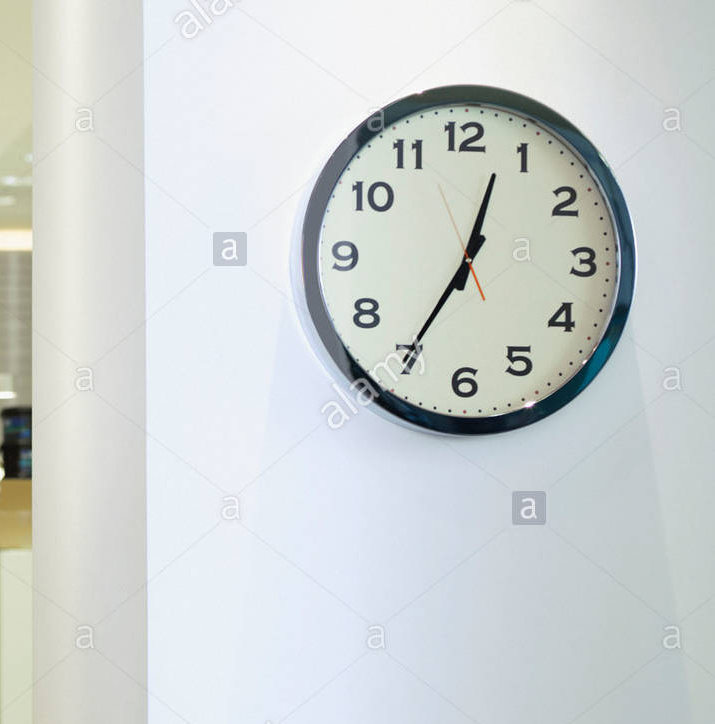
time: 12:35
